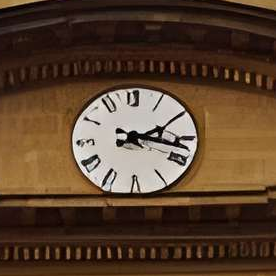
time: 2:17
